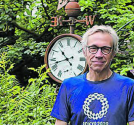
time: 10:42
